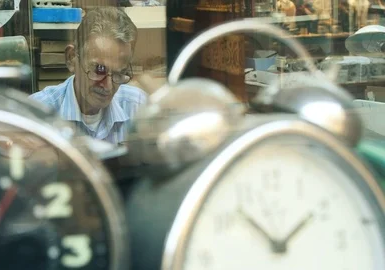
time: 1:52
